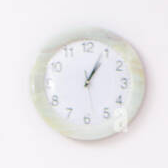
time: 1:04
